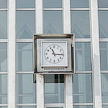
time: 11:15
